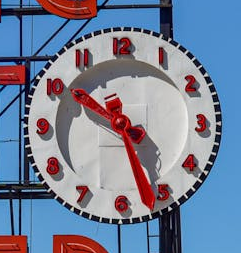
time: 10:26
